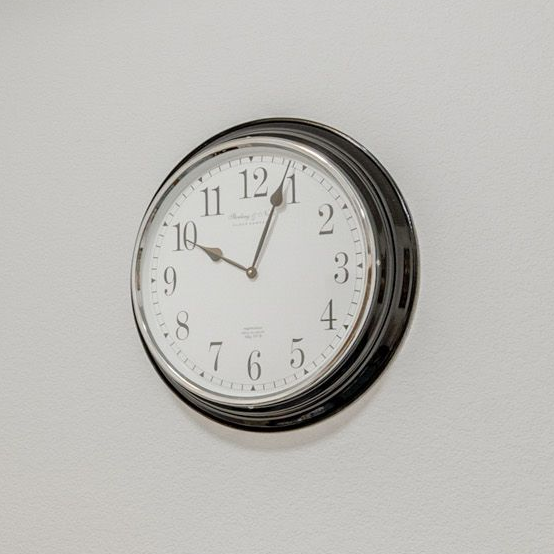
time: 10:03
